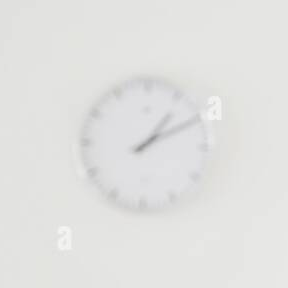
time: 1:10
